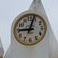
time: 9:02
